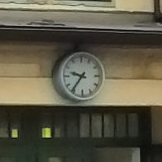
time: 9:36
